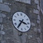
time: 3:35
